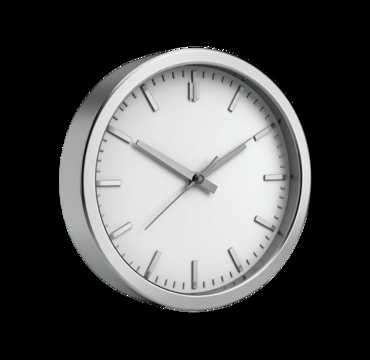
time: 1:50
